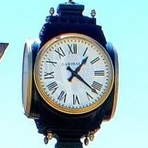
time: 1:21
